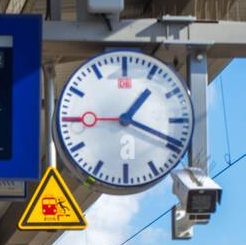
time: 1:18
